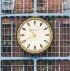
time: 10:41
